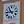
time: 10:45
